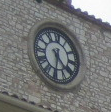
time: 4:31
